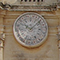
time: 10:07
